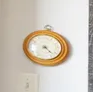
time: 4:22
